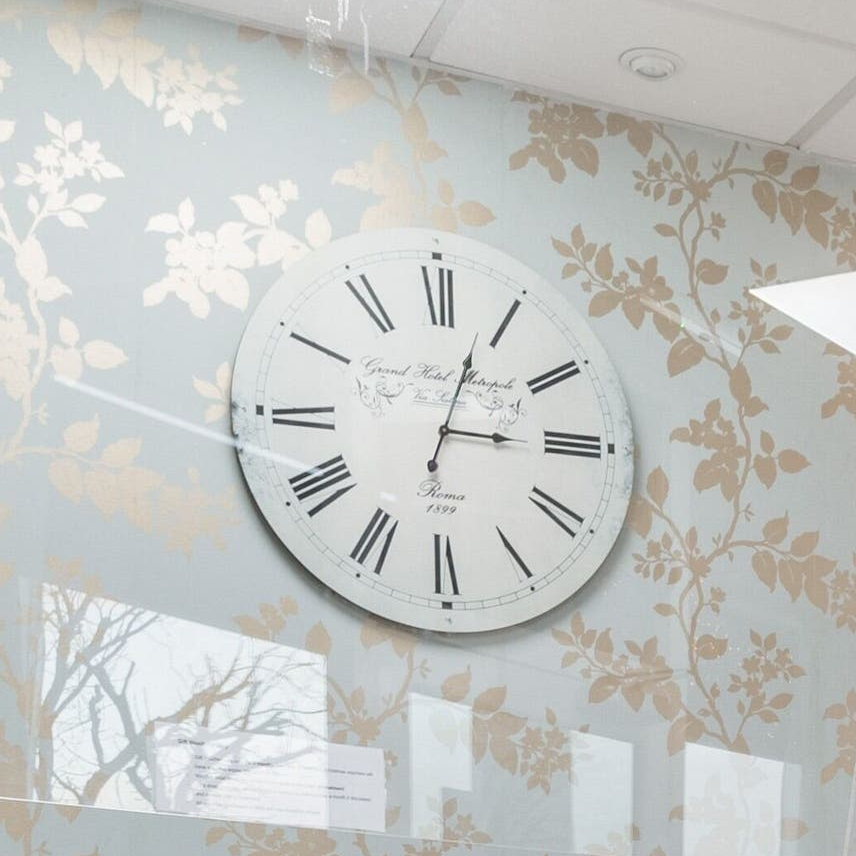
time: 3:03
